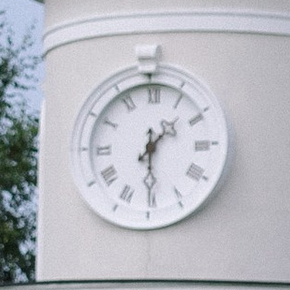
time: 1:29
